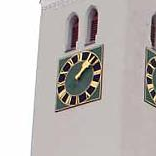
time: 1:07
